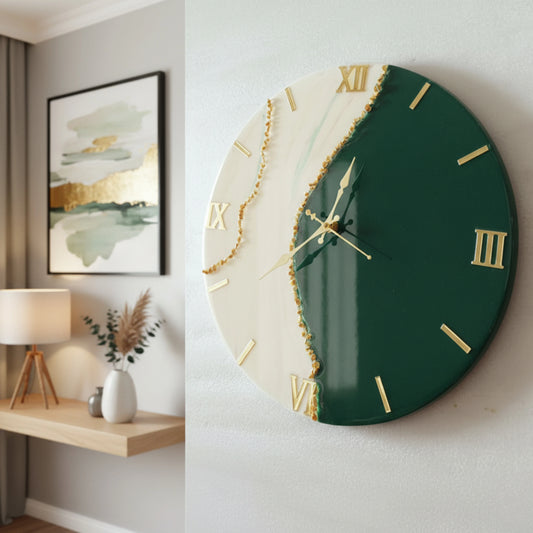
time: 12:28
